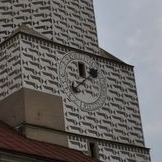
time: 11:37
